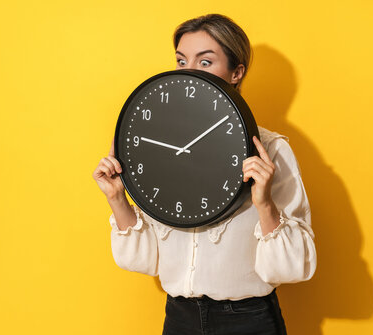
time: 9:08
